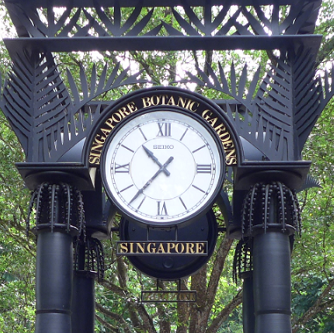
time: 10:36
